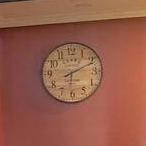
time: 6:10
